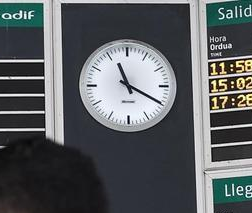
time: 11:19
